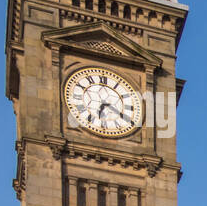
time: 6:19
